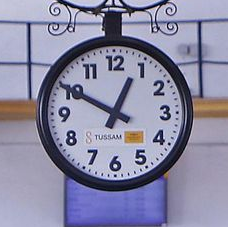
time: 12:49
